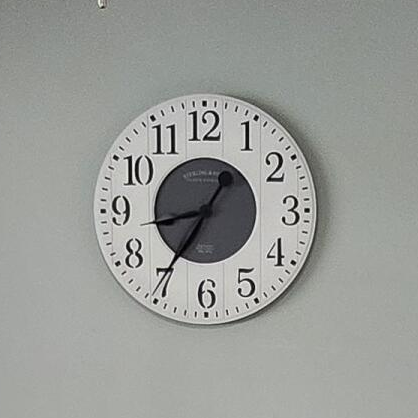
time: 8:35
